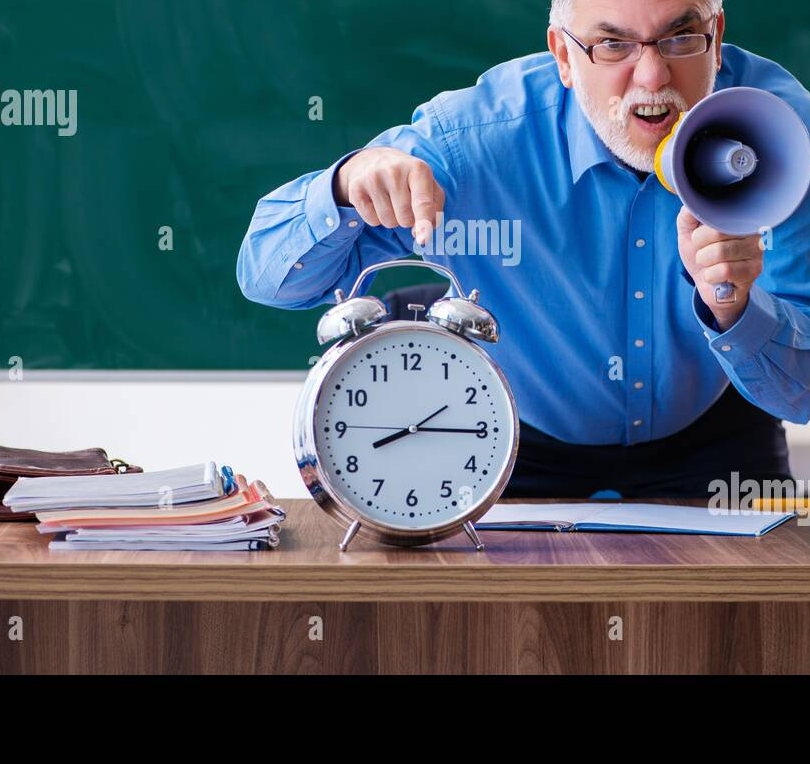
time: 8:15
